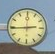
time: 2:44
